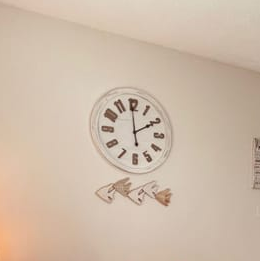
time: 1:59
